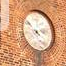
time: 4:12
